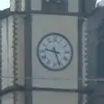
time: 9:26
